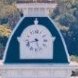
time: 8:26
